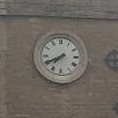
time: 7:40
